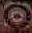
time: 8:17
